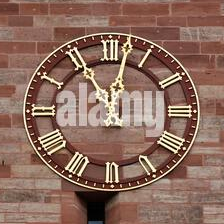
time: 11:02
